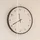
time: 11:40
